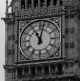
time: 11:02
